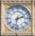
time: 2:32
